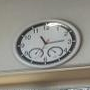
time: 11:14
